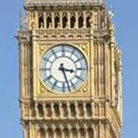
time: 3:27
